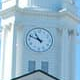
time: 10:49
